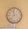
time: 11:37
